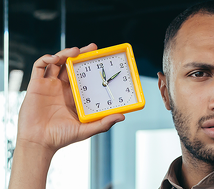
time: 12:11
